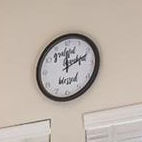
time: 12:11
